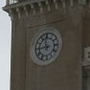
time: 11:44
